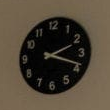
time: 2:18
